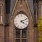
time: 4:10
